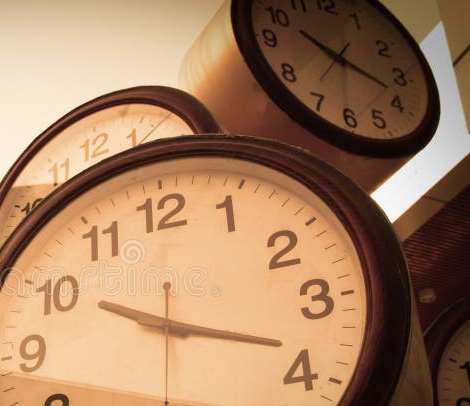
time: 10:18
